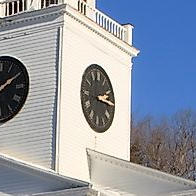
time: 2:15
